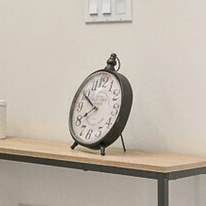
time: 7:49
